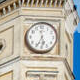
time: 5:34
